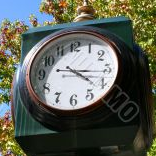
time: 4:16
